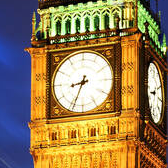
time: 8:33
